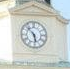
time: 5:52
